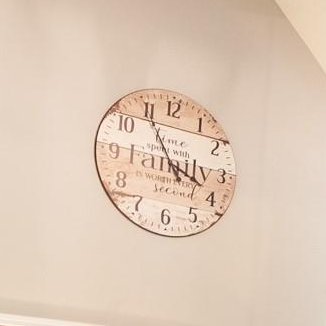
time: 3:54
